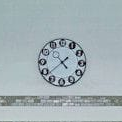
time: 1:38
